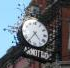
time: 4:35
